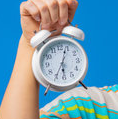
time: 6:03
